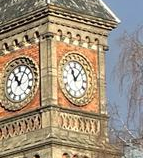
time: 11:07
